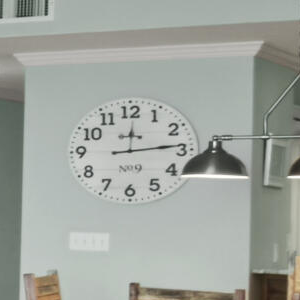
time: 12:14
